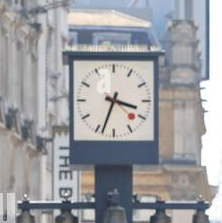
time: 3:33
